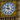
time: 11:47
